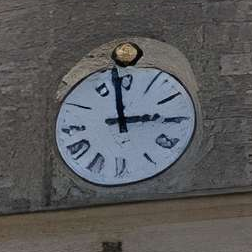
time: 2:58
